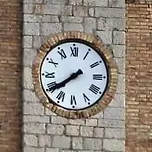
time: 7:39
